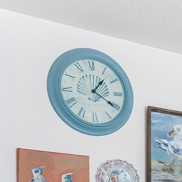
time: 1:20
